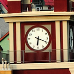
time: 6:18
